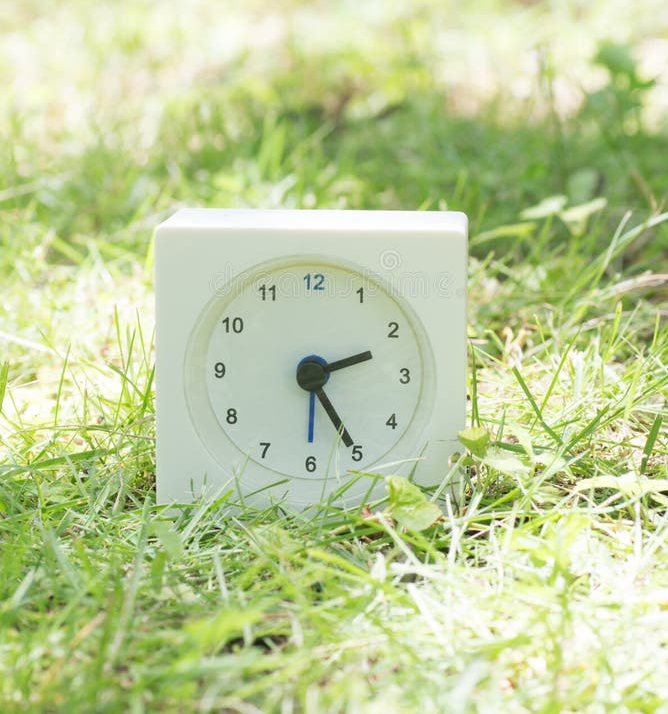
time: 2:24
